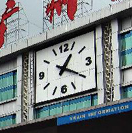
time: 1:20
